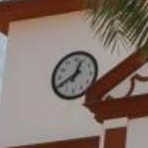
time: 12:40
